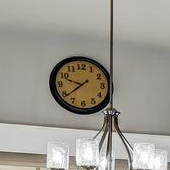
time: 9:38
